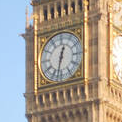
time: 12:32
